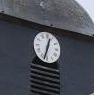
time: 12:32
